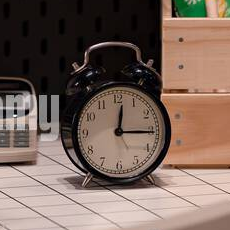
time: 12:15
